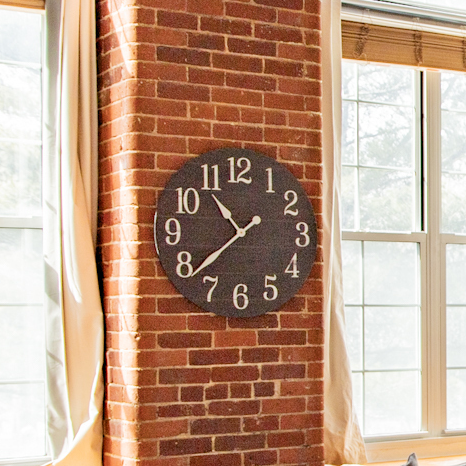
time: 10:38
